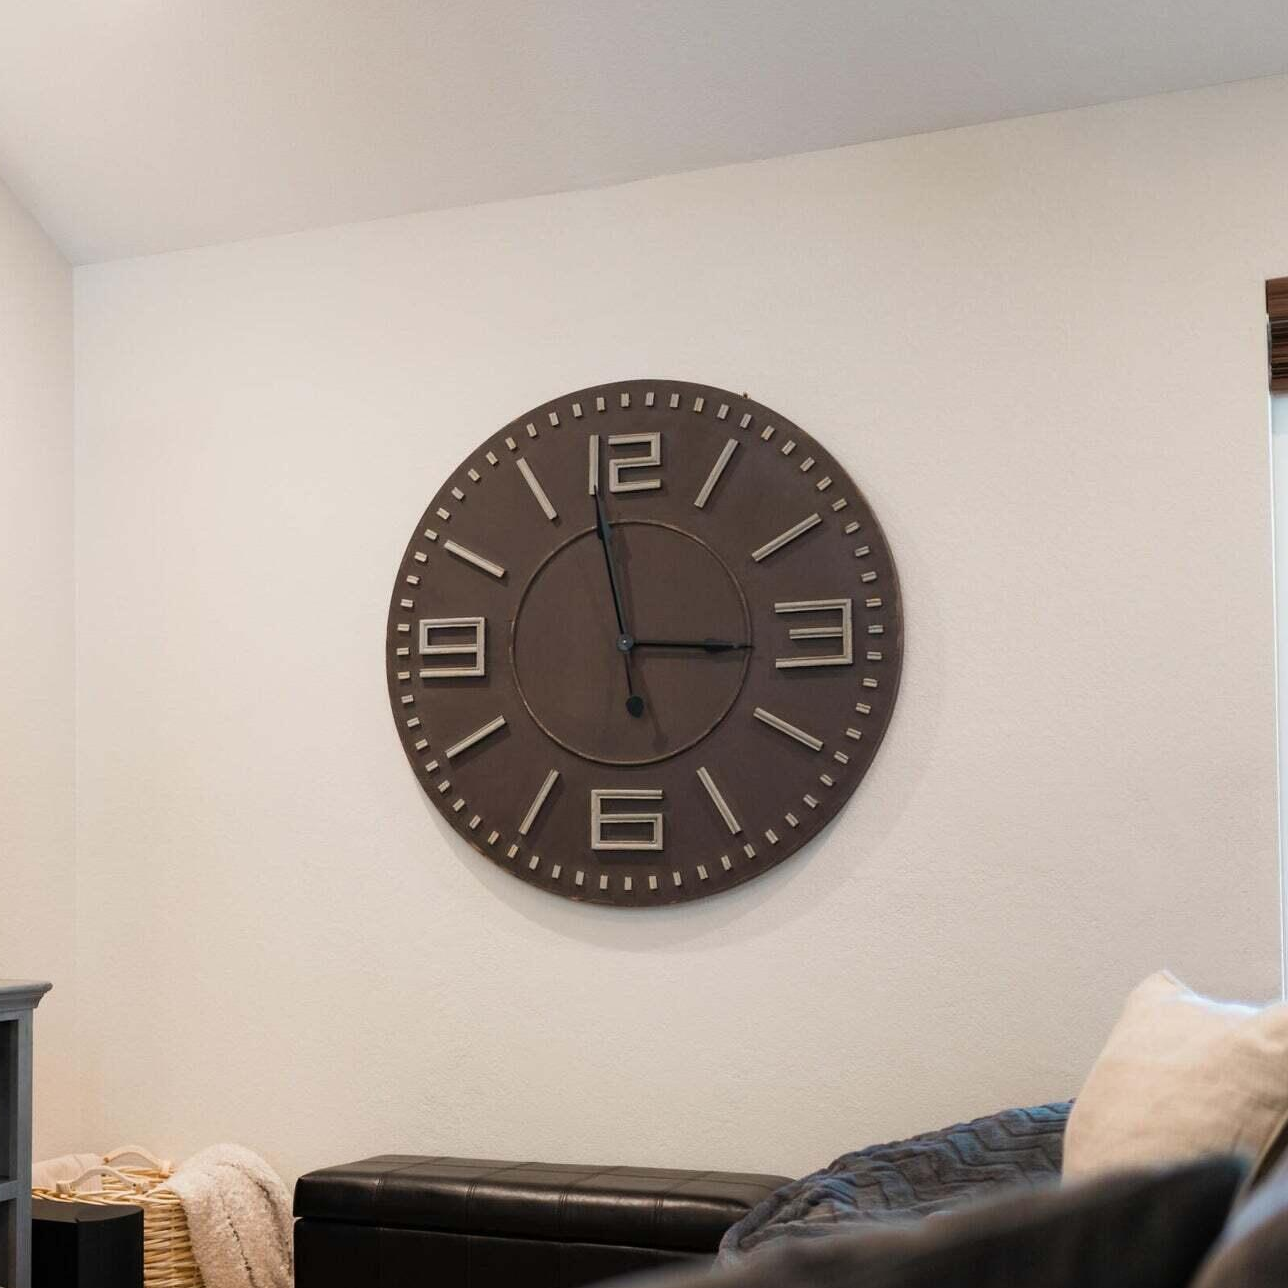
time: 2:58
